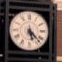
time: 5:22
